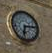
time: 6:14
